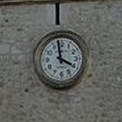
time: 3:58
